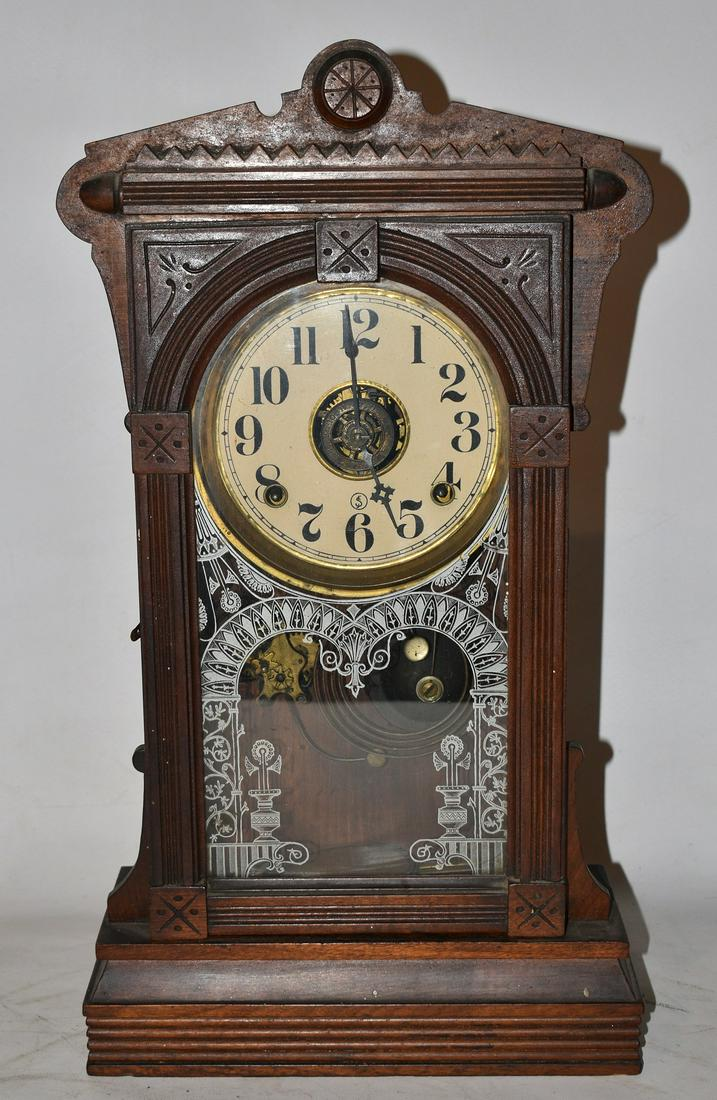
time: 11:59
